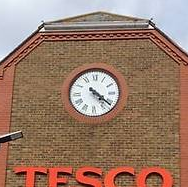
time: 4:21
